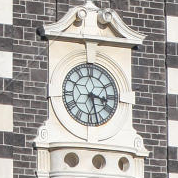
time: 3:27
